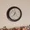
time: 12:37
